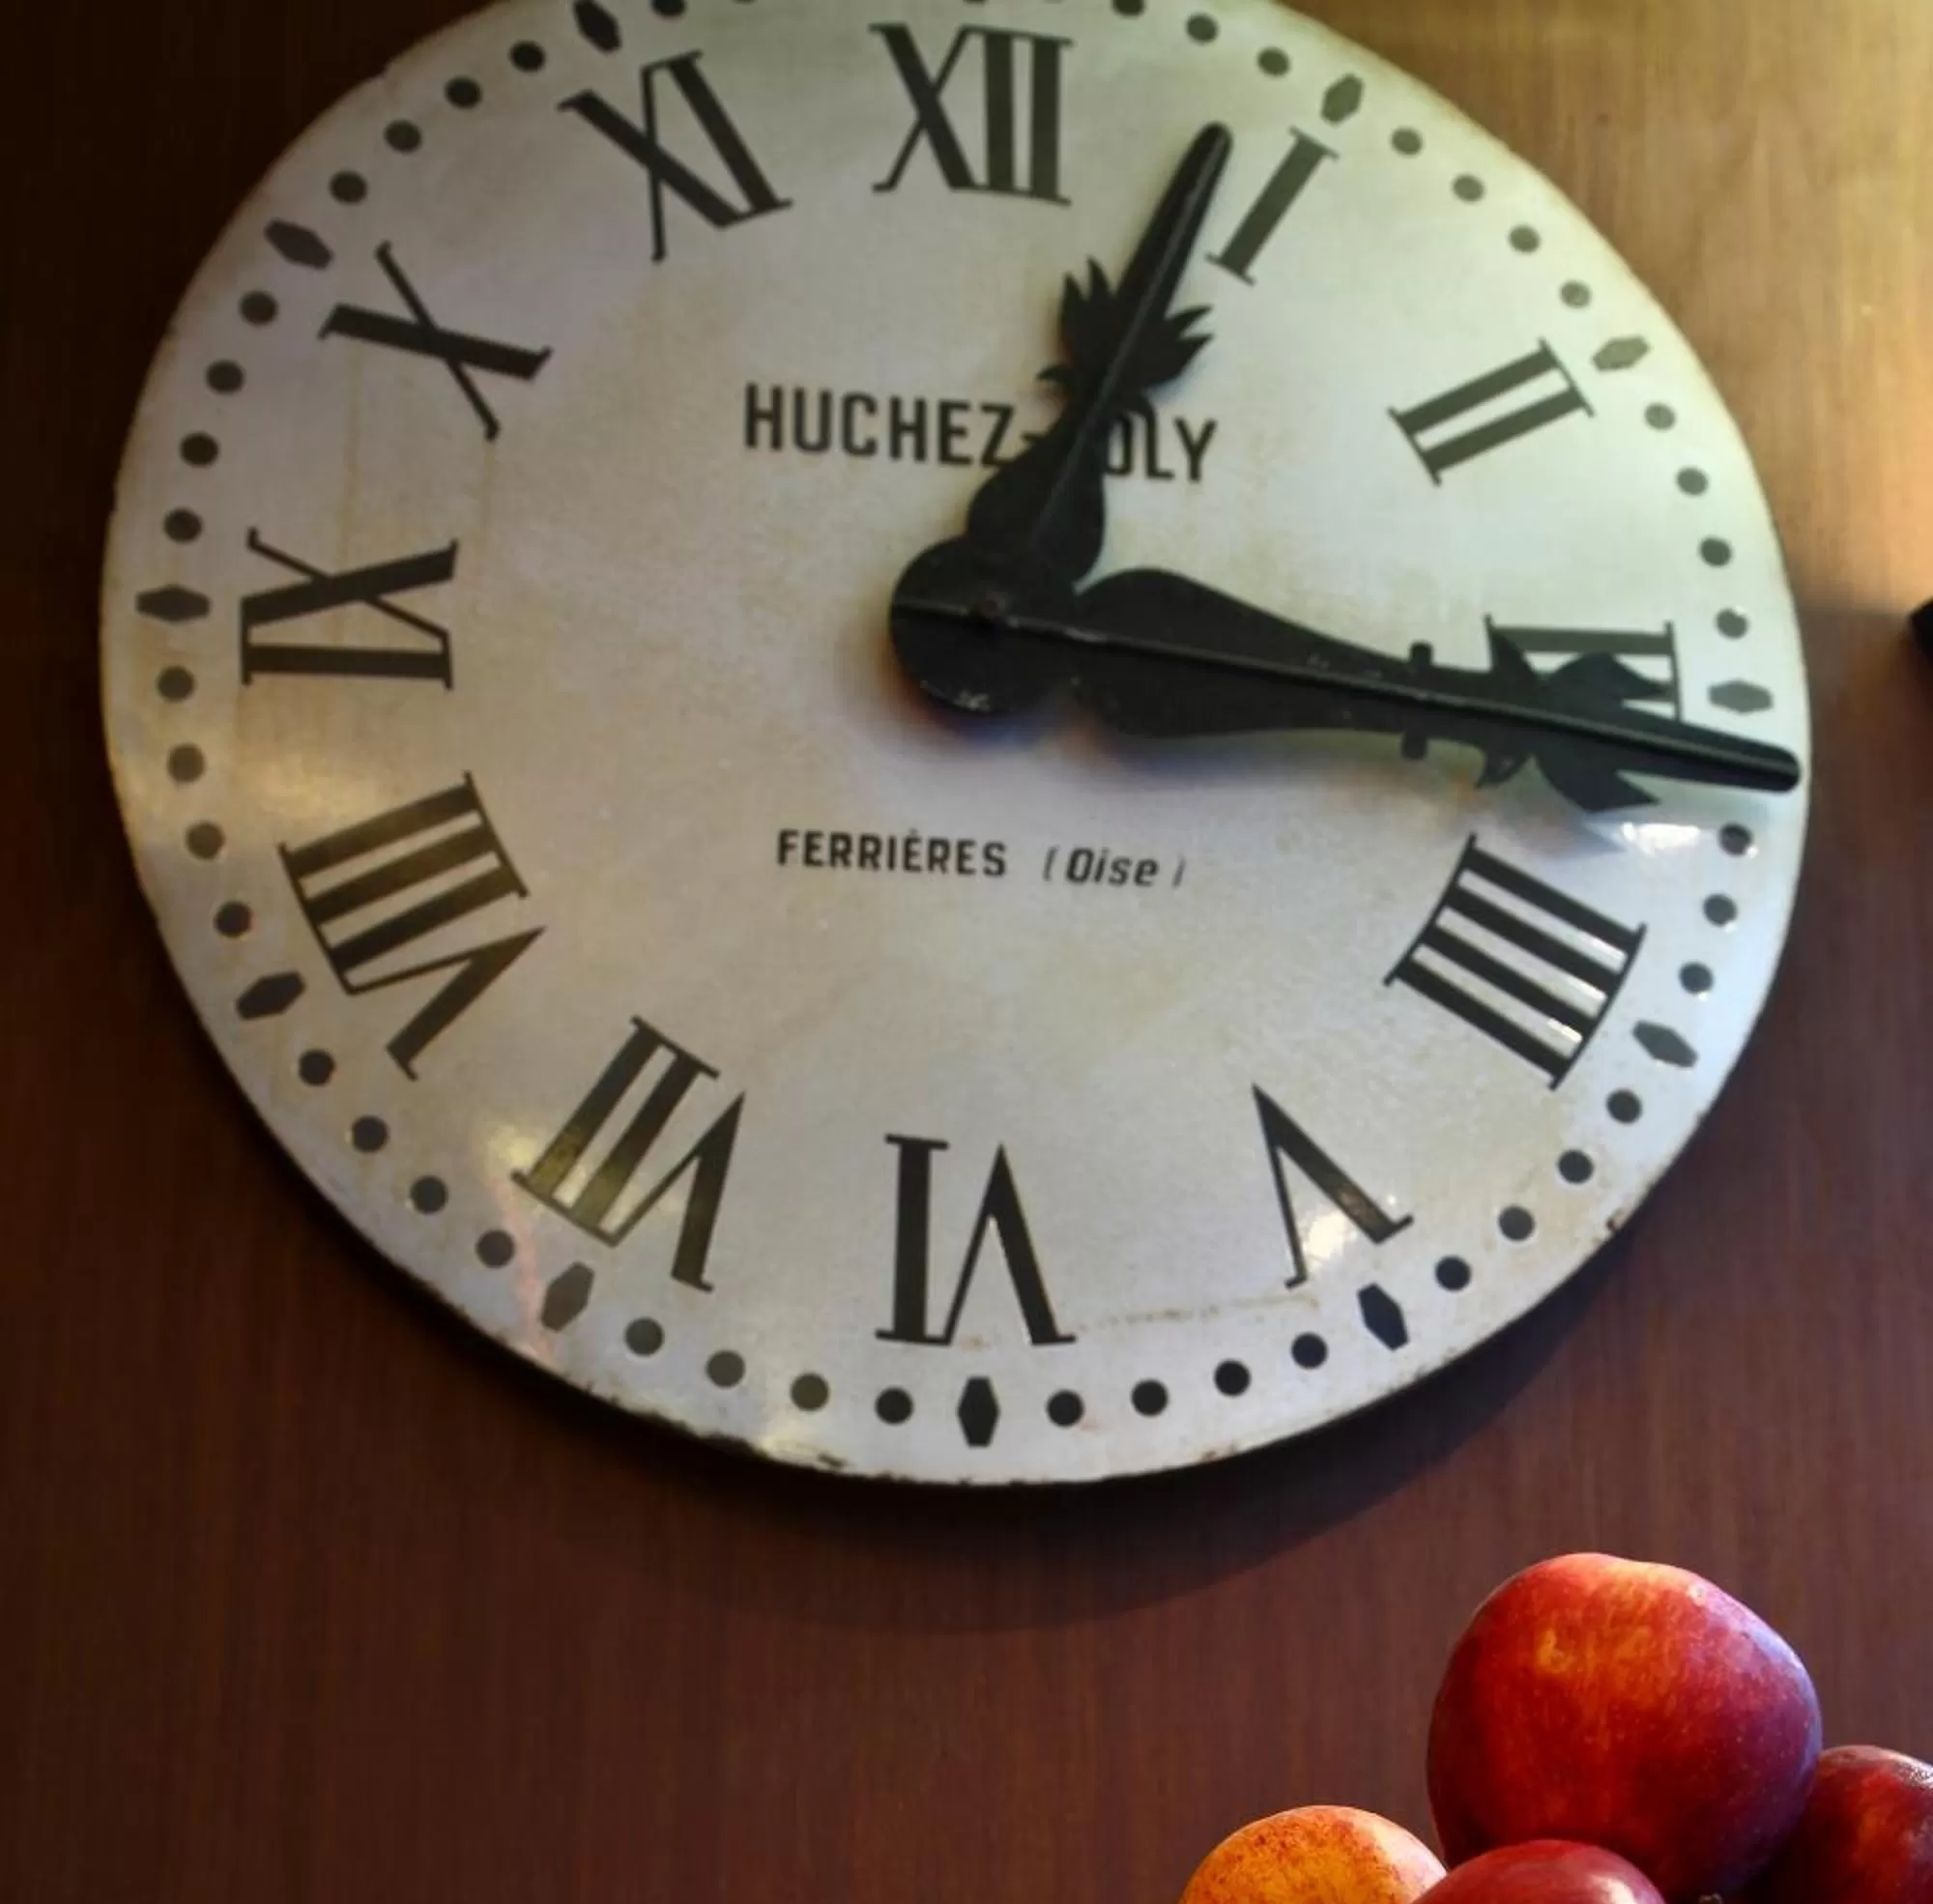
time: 1:16
